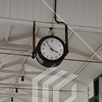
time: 3:53
